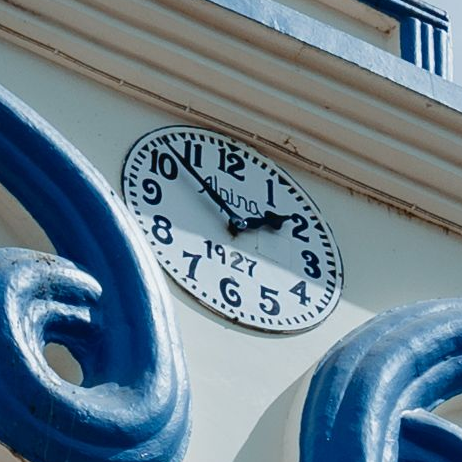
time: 1:52
